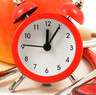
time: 12:05
